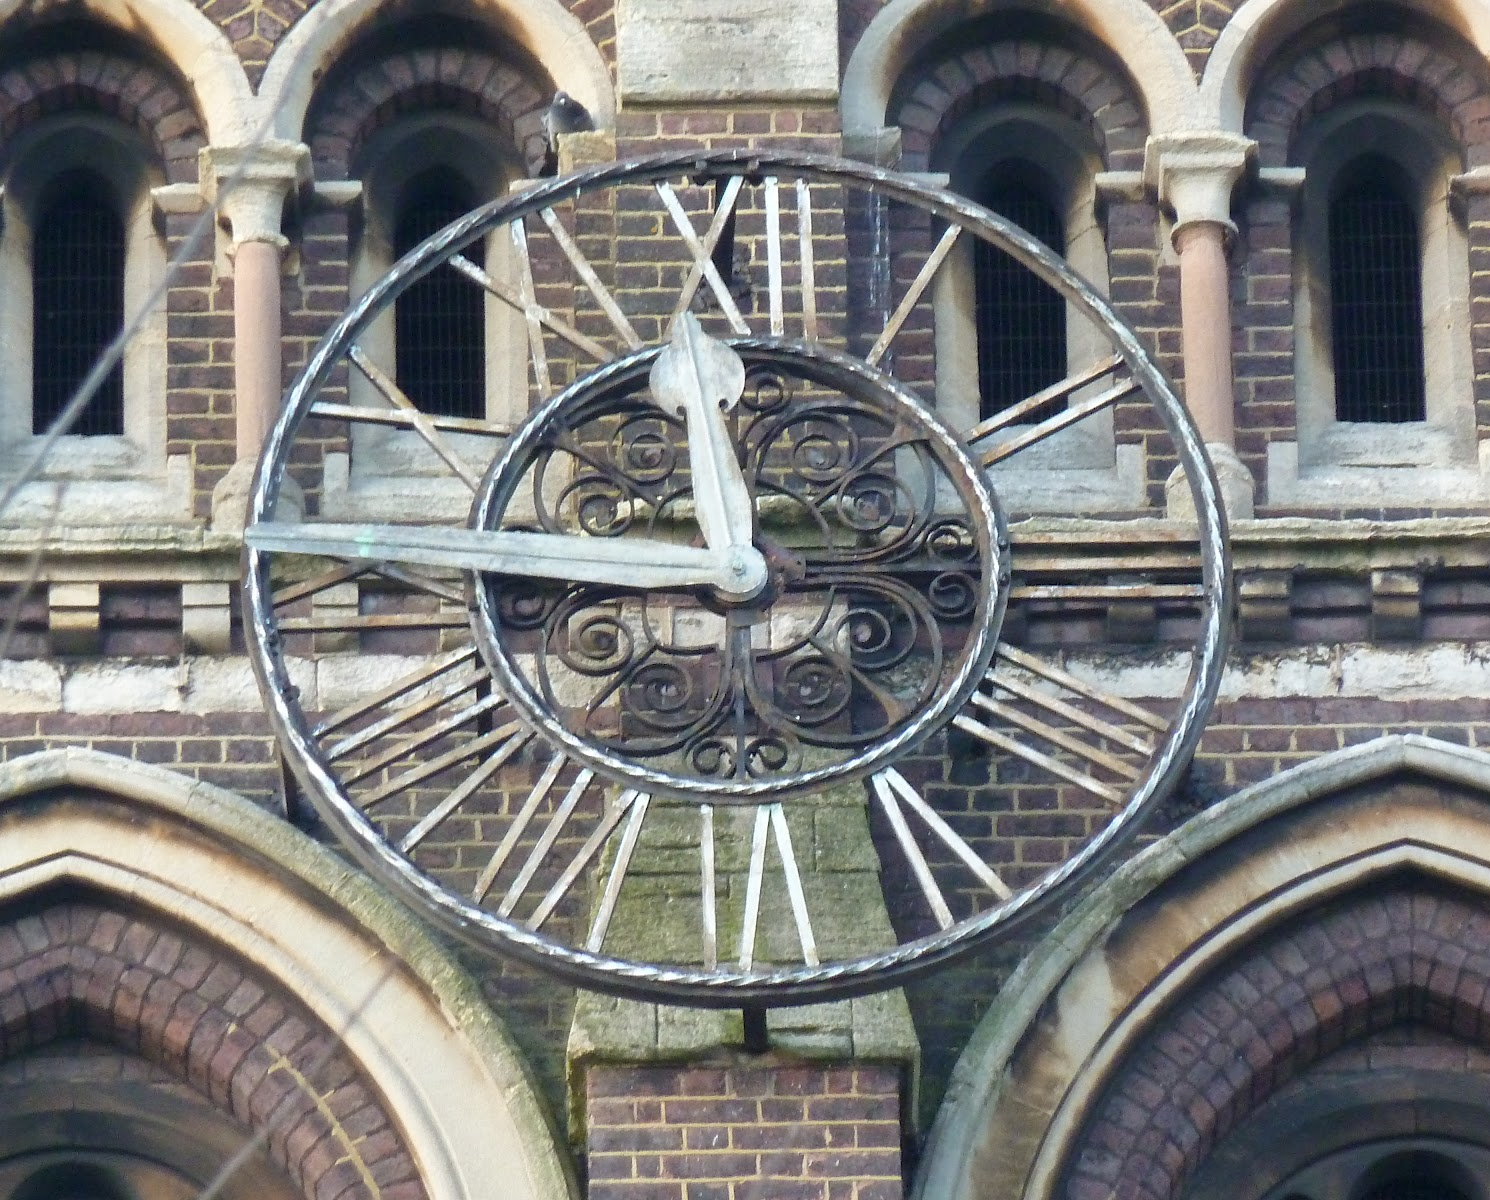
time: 11:45
